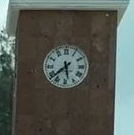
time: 5:38
